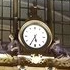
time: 5:34
